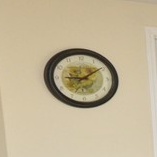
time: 9:09
